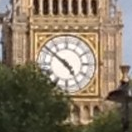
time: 4:51
